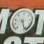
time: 5:26
